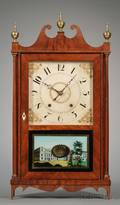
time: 10:07
